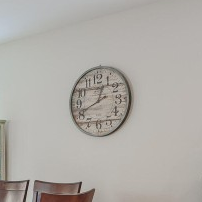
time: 12:41
